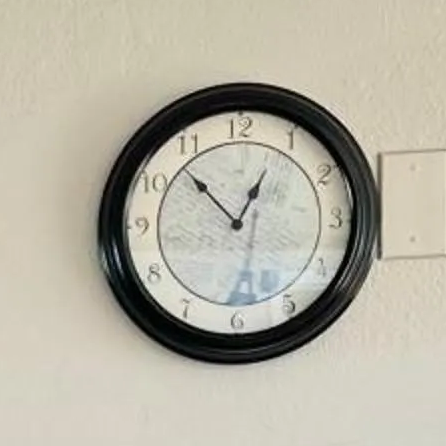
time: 12:52
